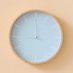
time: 8:59
